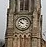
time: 9:51
